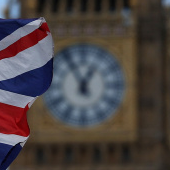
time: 12:55
